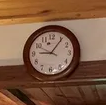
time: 9:05
